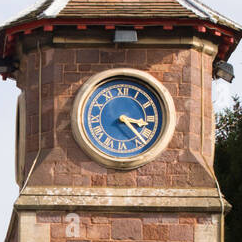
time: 3:22
